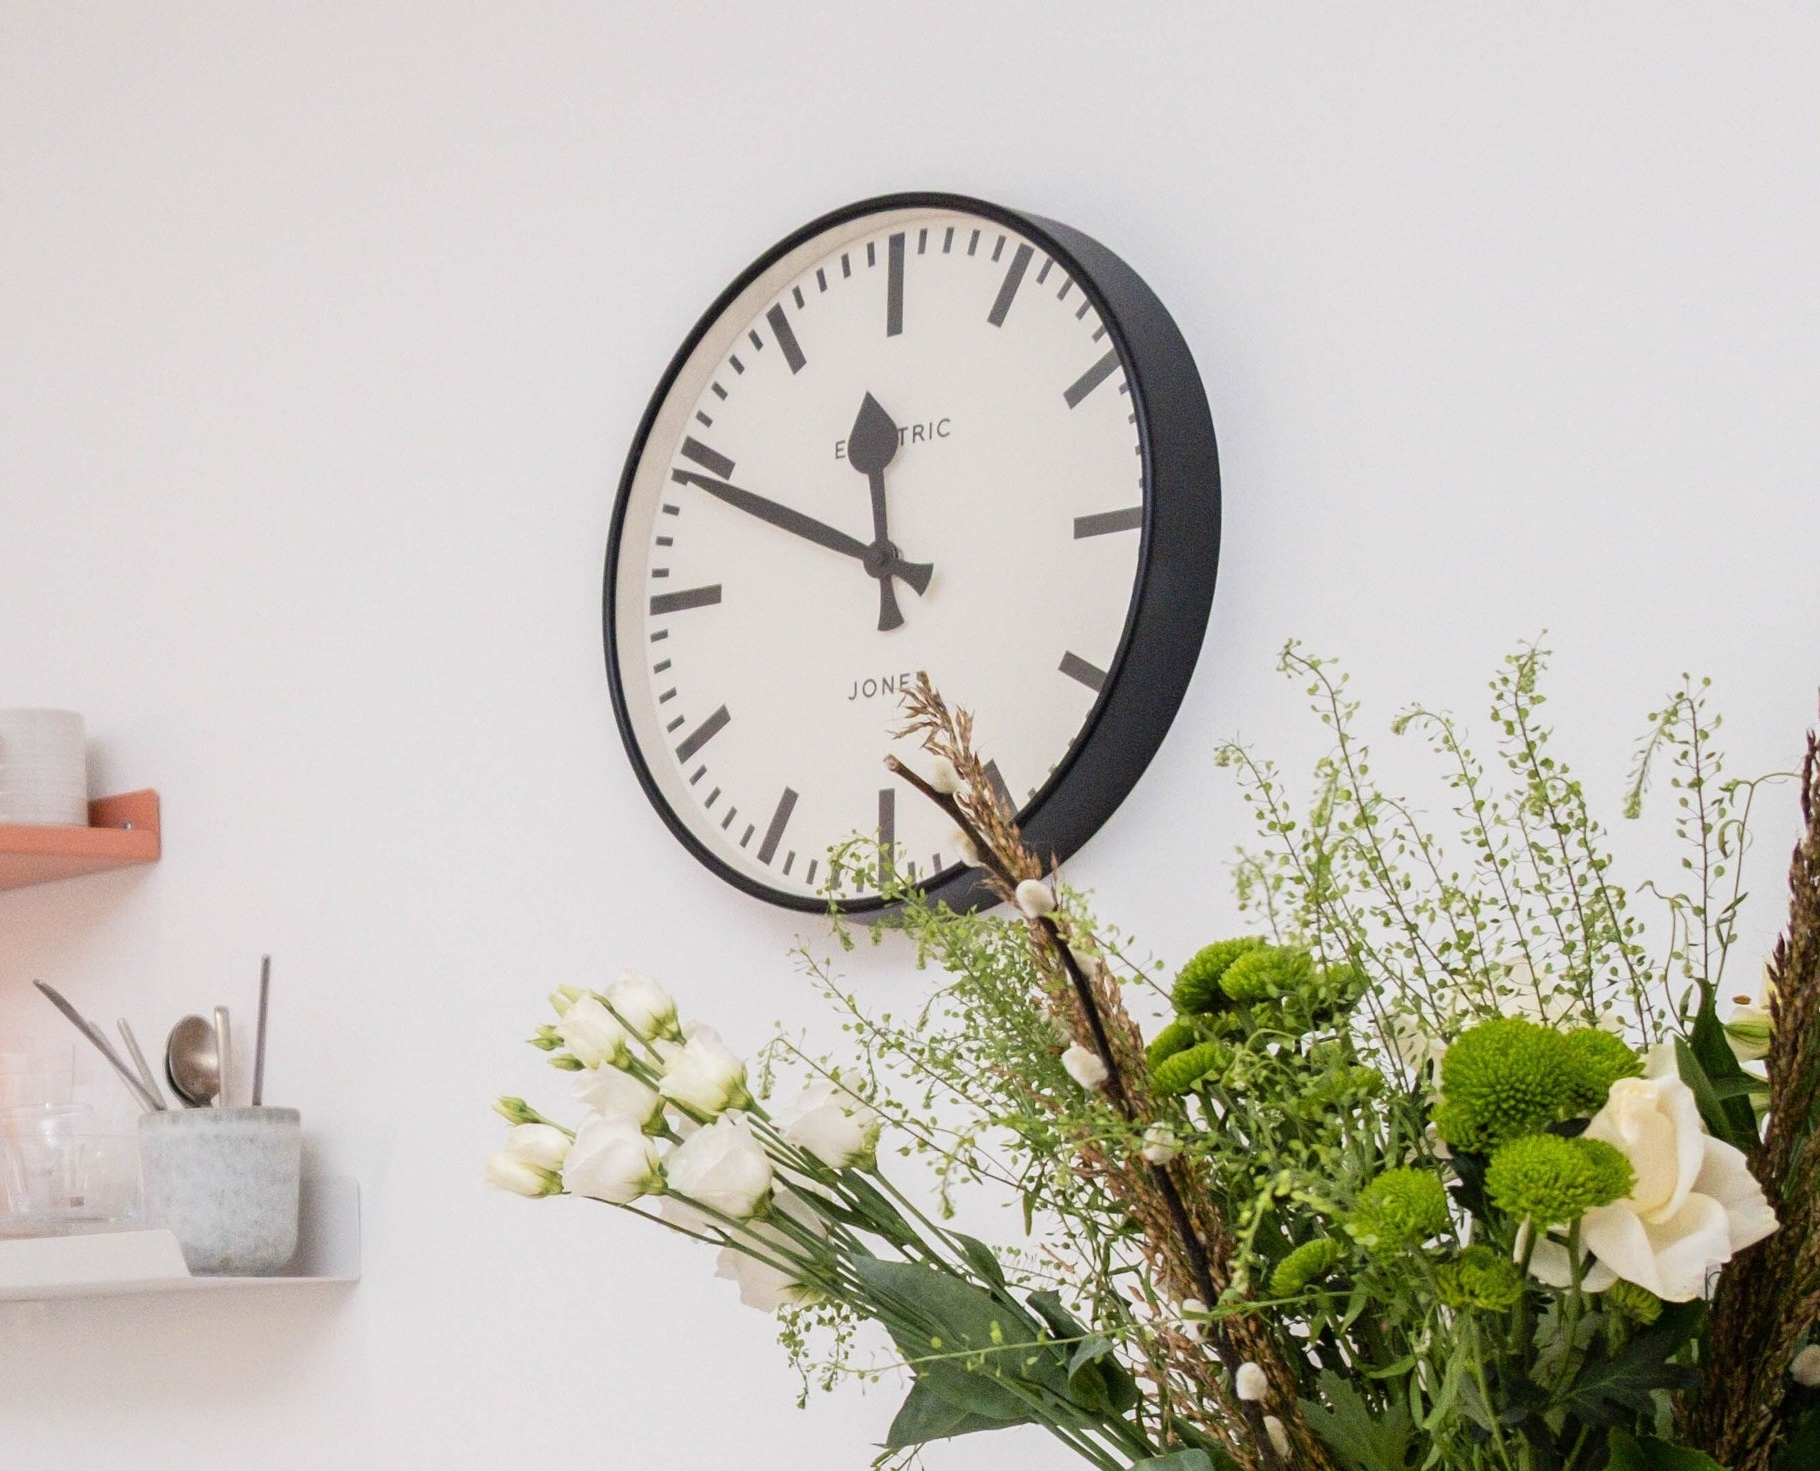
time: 11:49
